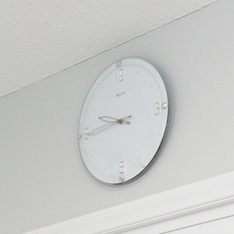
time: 9:44
